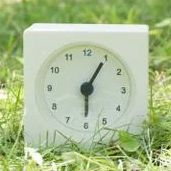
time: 6:05
